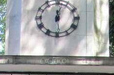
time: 12:03
